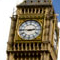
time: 2:45
